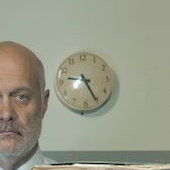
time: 9:25
